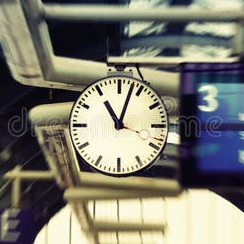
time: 11:03
